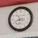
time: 10:41
